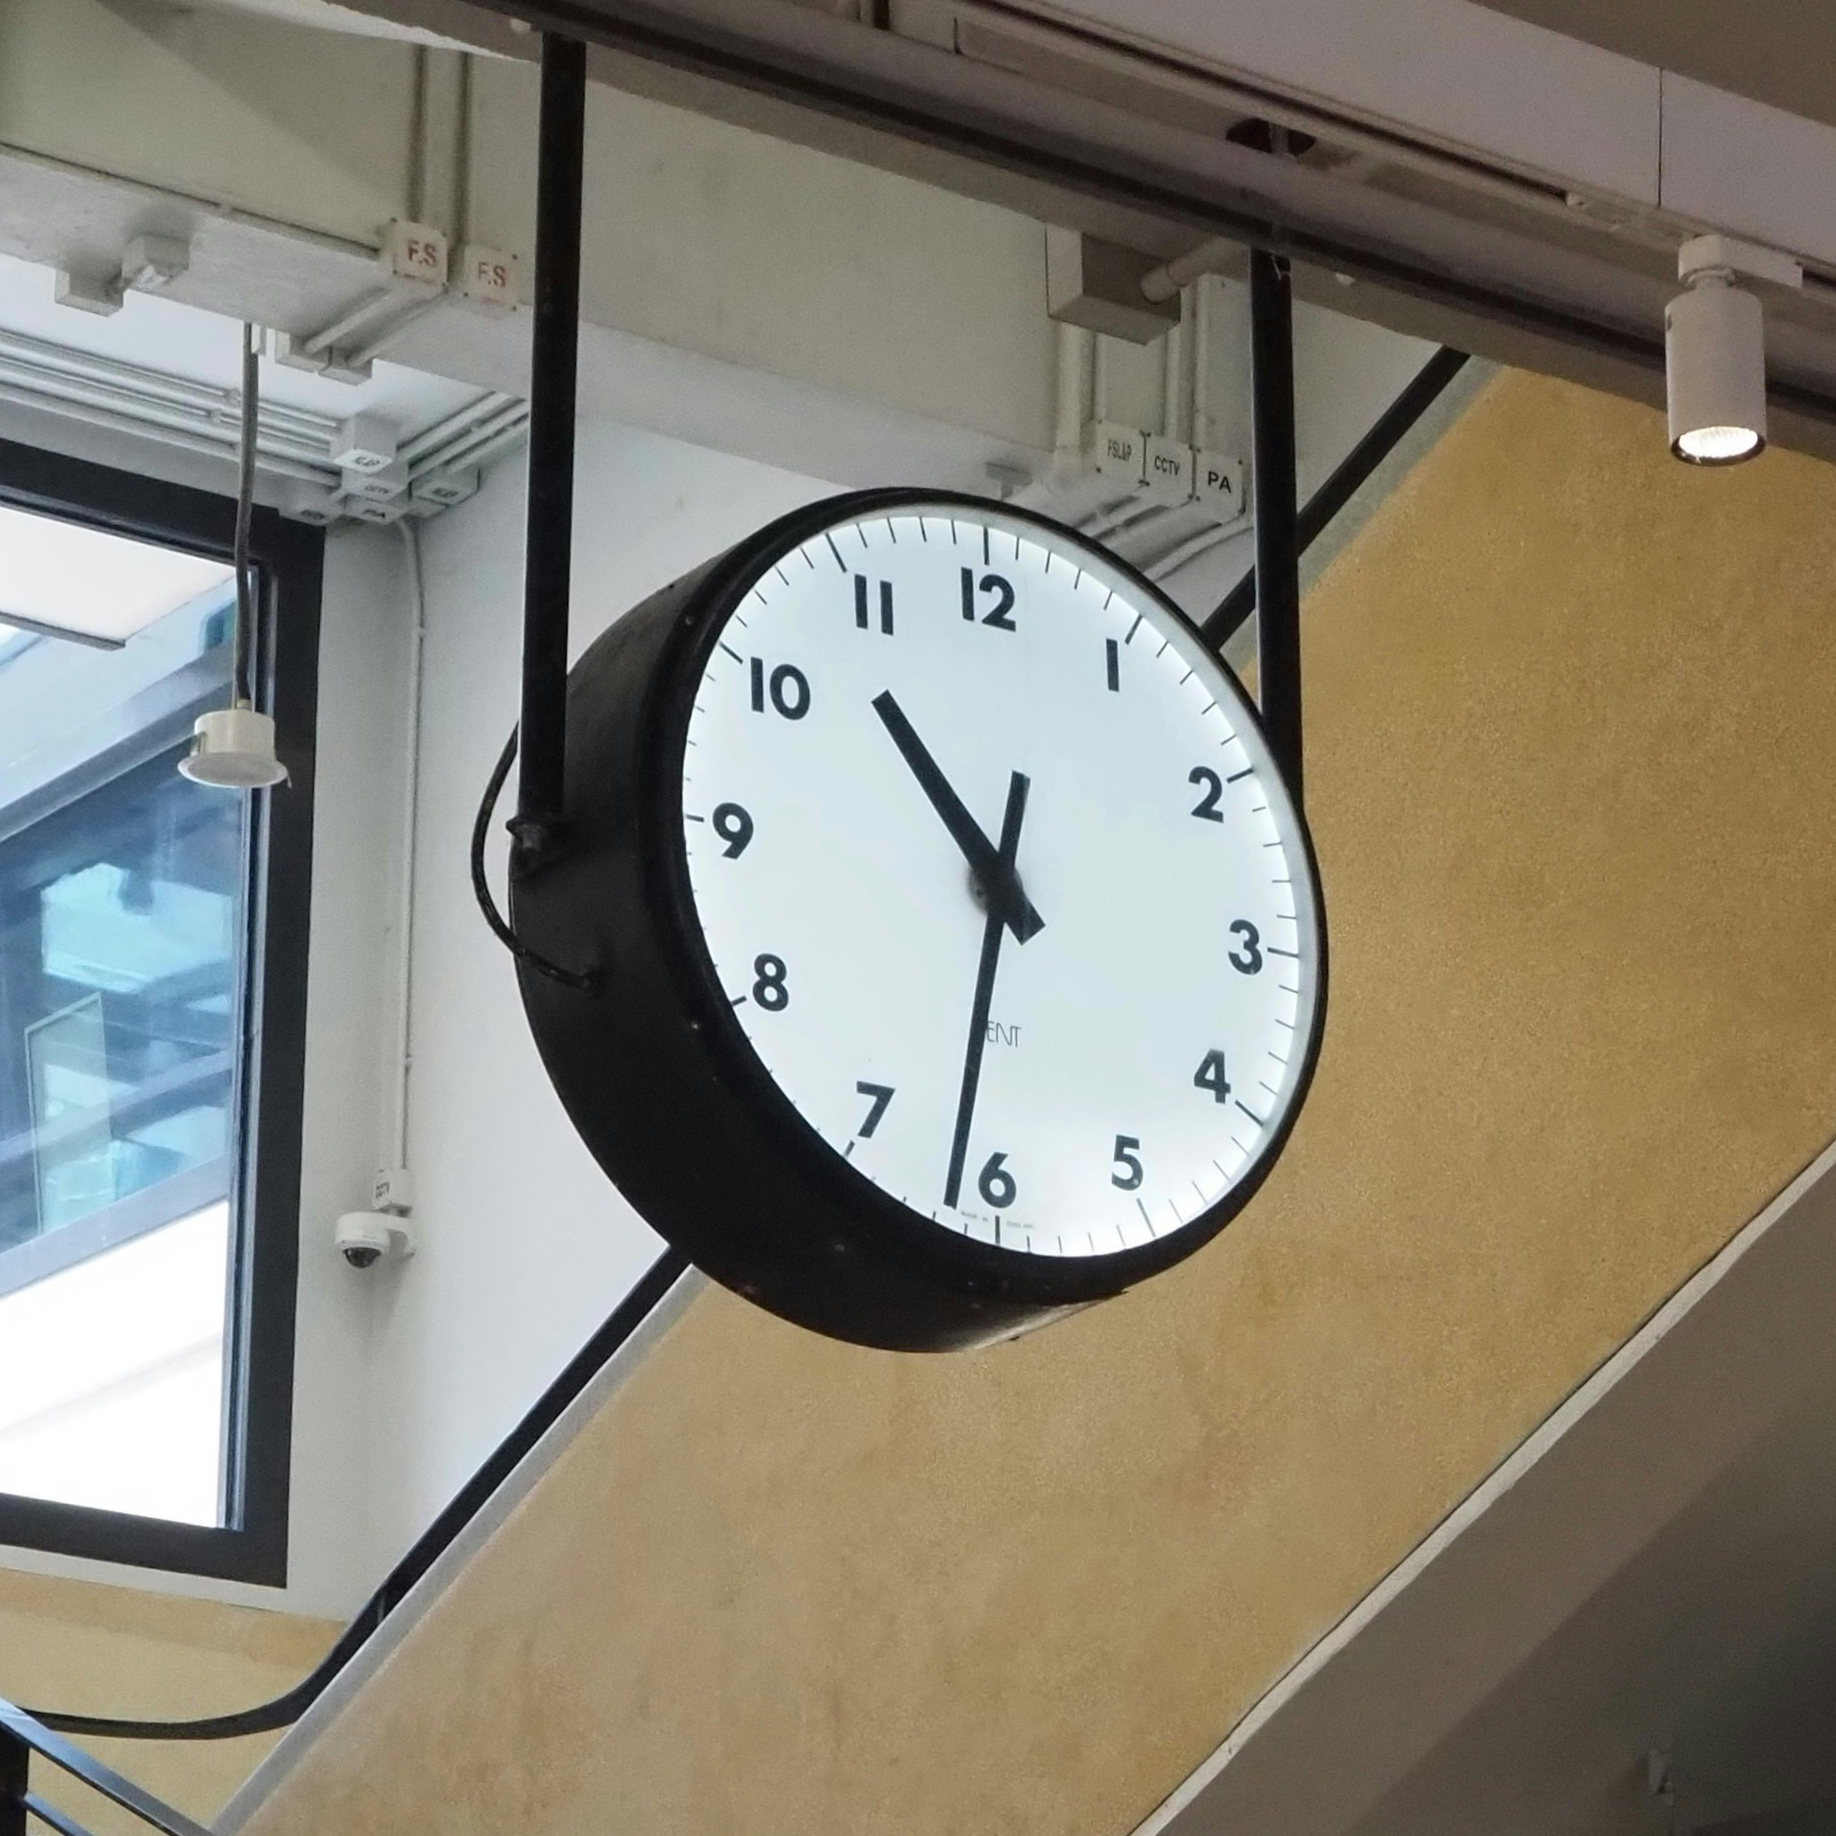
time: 10:31
